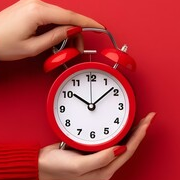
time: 10:08
